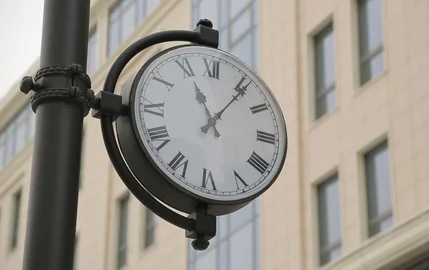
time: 11:06
